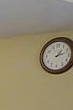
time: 1:12
